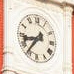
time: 8:36
